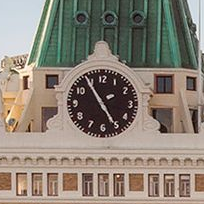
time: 4:54
